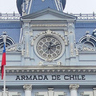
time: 12:11
